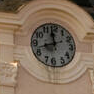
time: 11:42
